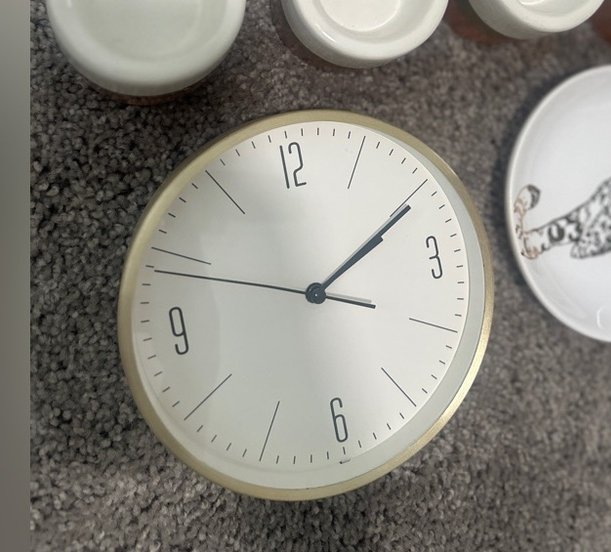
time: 2:10
